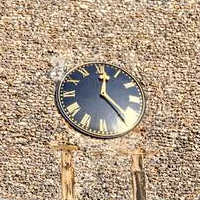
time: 12:23
